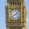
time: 1:40
